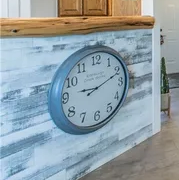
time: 9:11
